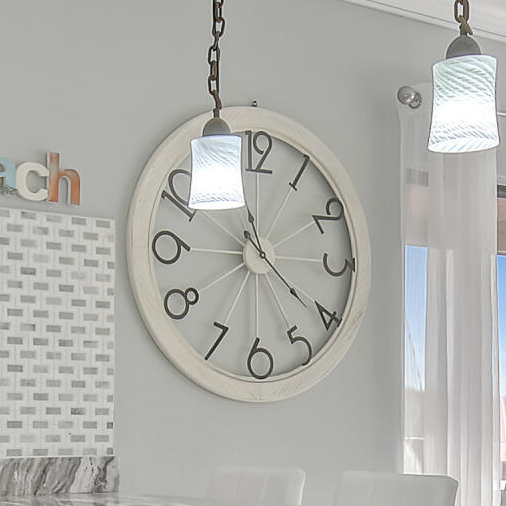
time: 4:21
